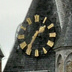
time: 1:35
